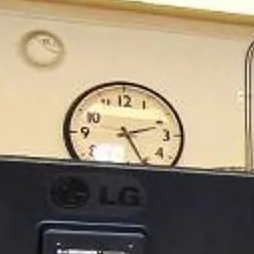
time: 2:25
